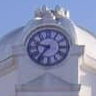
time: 9:36
